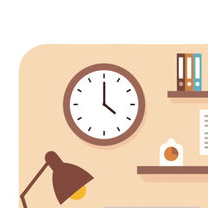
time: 4:00
